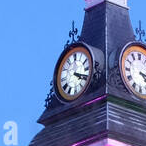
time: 4:18
